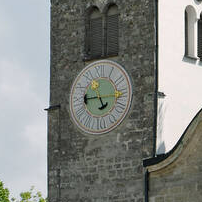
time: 8:56
